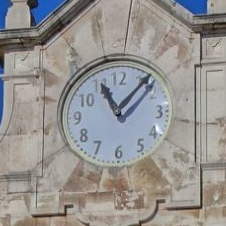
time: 11:07
